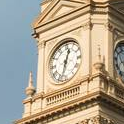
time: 12:32
